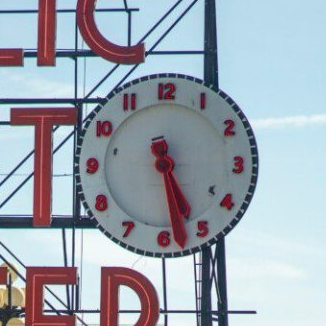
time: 5:28
